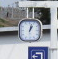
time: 1:02
